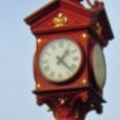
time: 1:22
